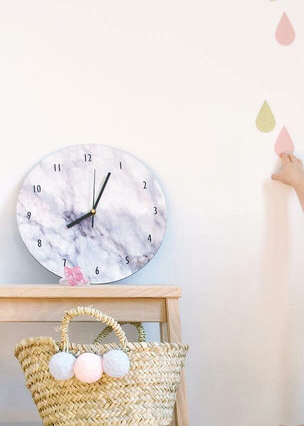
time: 8:04
